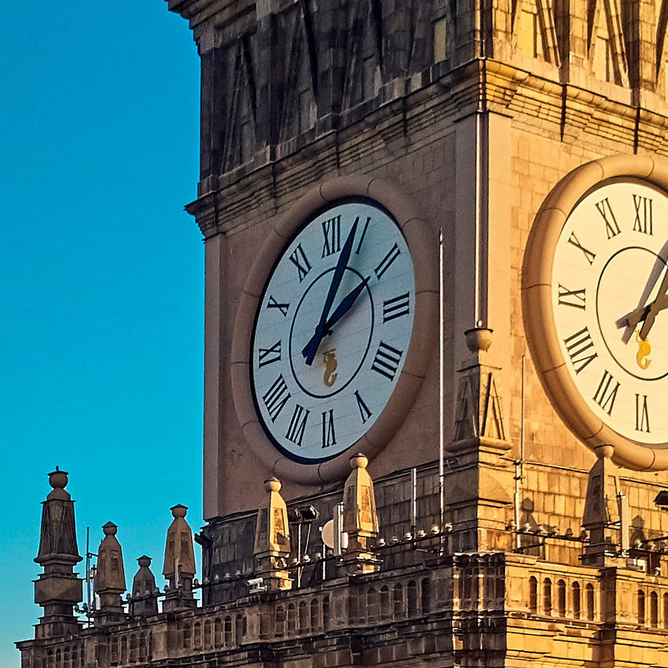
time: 2:03
